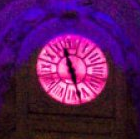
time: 11:27
